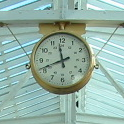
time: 11:41
